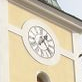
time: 1:23
